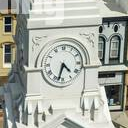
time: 4:32
